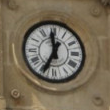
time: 11:34
